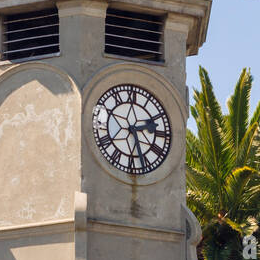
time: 2:26
